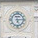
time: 5:14
